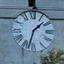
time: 1:32
